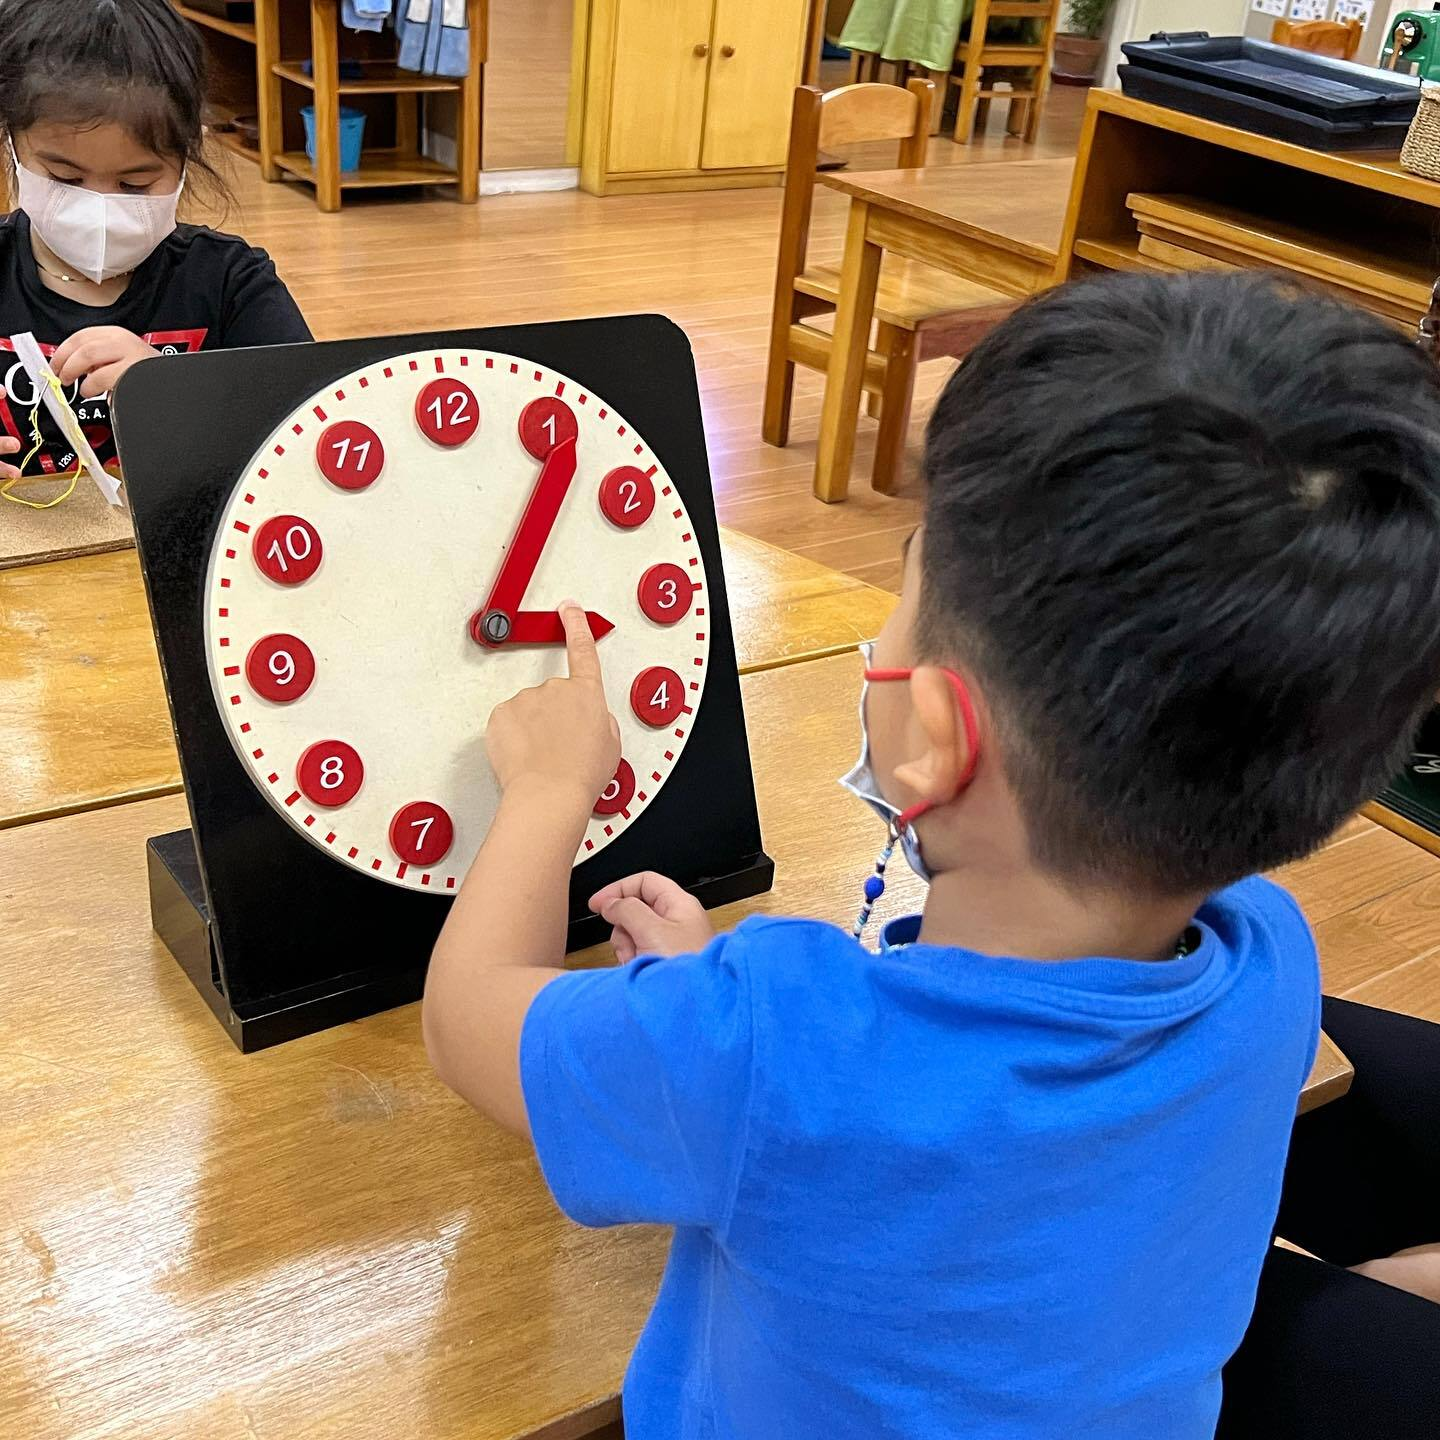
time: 3:06
